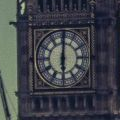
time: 6:00
